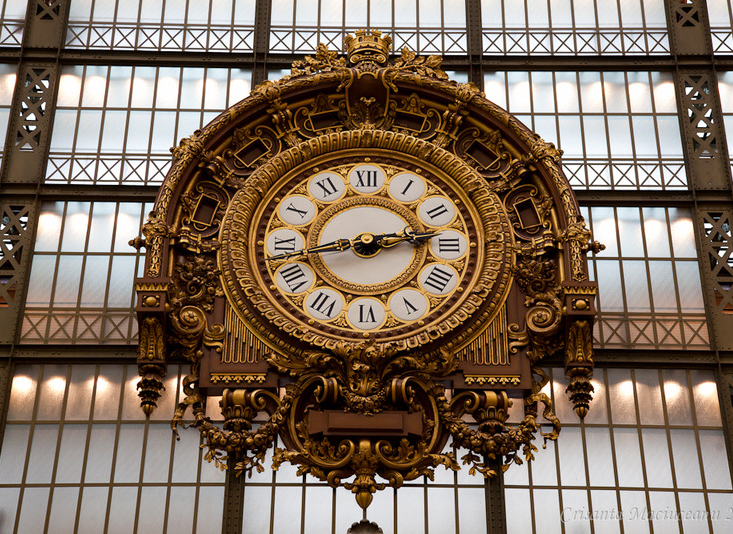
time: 2:43
